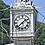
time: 1:37
